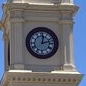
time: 12:12
